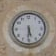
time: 5:30
